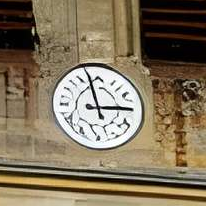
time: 2:57
